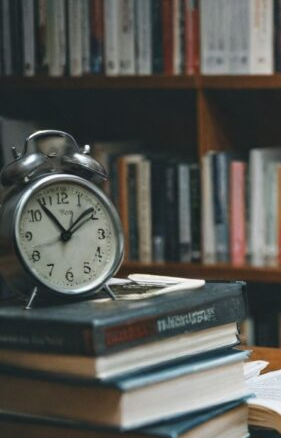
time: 1:53
